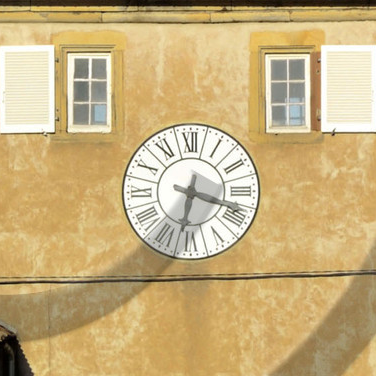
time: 6:18
